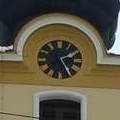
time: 2:25
